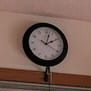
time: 2:02
